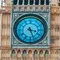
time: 3:26
